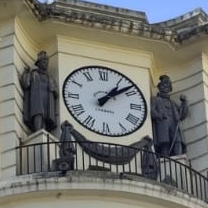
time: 1:08
